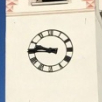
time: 9:45
